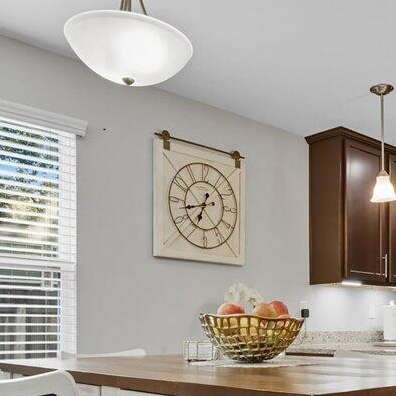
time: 6:42
